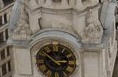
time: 2:50
